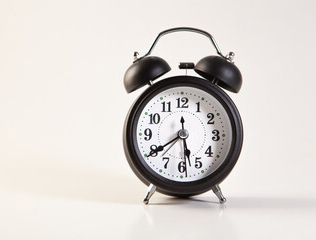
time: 5:39
